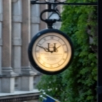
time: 12:48
